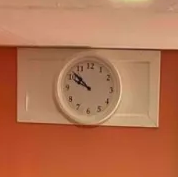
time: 9:51
